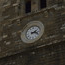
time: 2:18
